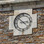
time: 2:52
